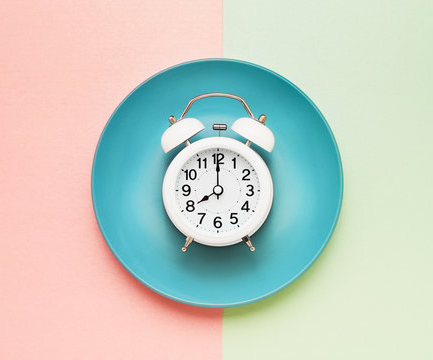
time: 8:00
